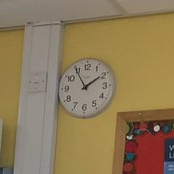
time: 1:54
